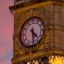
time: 4:28
